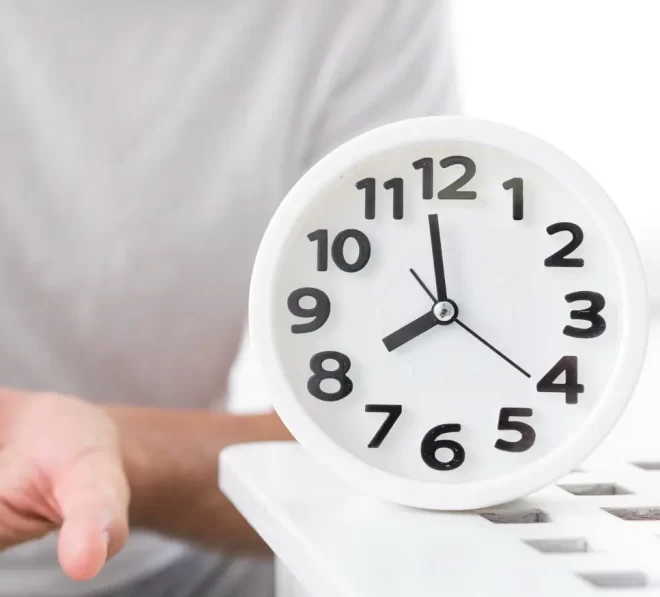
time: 7:58
